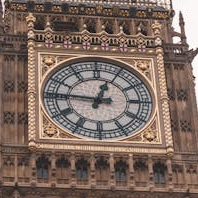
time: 12:46
